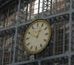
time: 12:49
